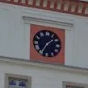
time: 1:35
